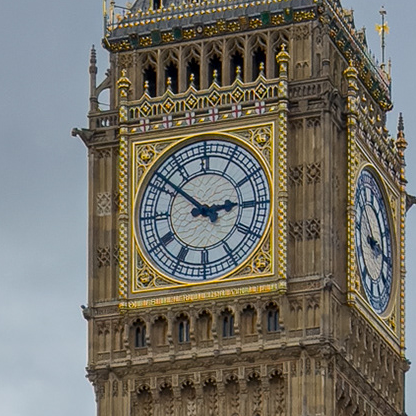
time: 2:51
